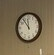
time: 11:53
